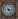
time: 3:24
